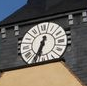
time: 6:34
